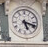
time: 5:18
